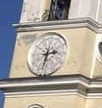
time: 2:32
